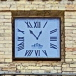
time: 12:53
